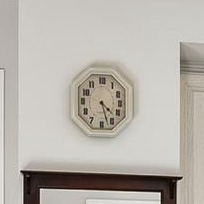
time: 4:27
